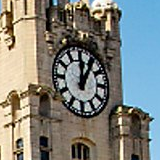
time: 12:05
